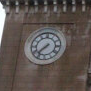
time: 7:37
